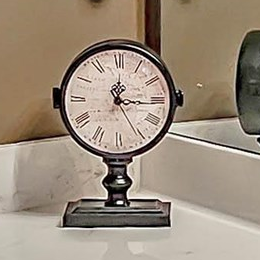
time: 12:15
